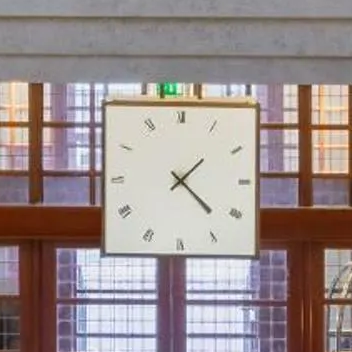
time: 1:22
